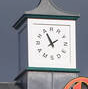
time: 1:55
